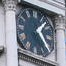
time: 1:24
